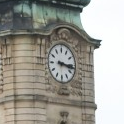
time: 3:16
